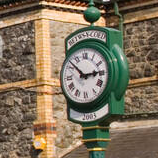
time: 2:52
